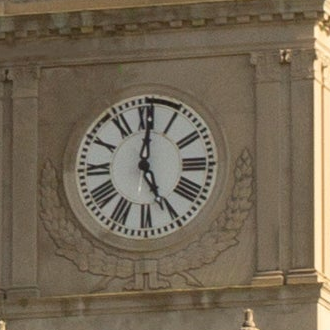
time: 5:00
